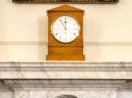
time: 11:00
